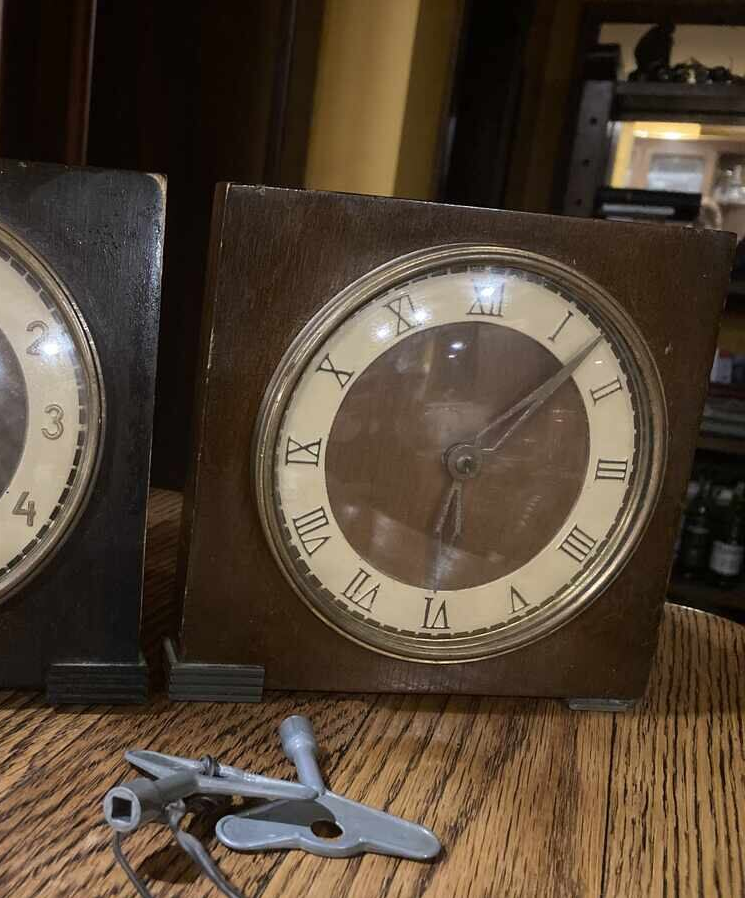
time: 6:07
